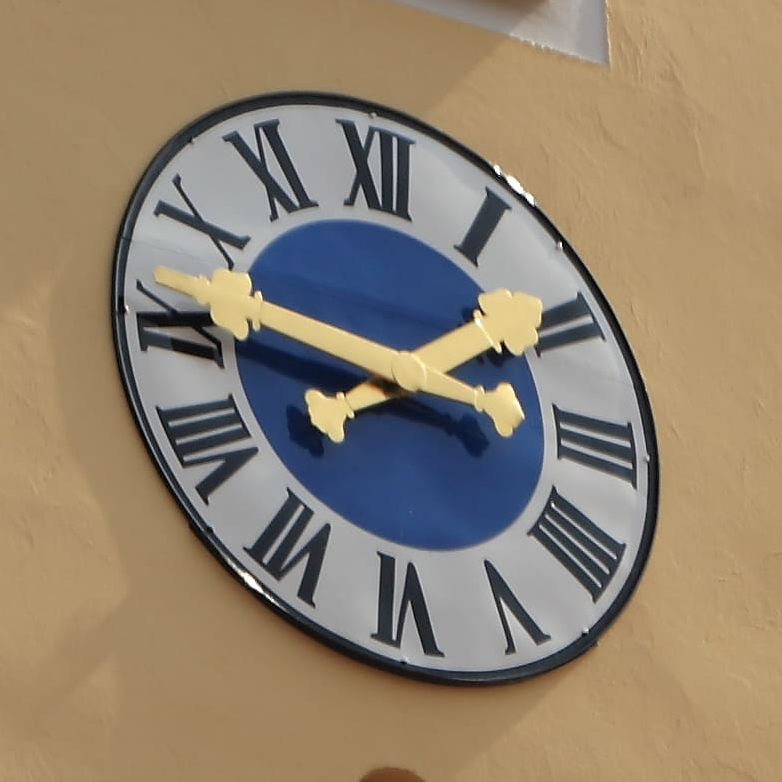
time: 1:46
